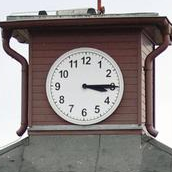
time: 3:14
